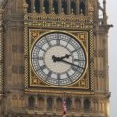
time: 2:18
